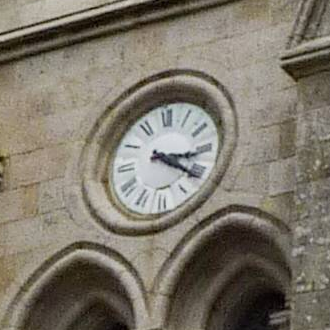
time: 3:21
